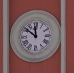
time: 11:51
